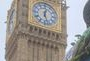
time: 12:27
